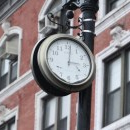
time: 3:01
